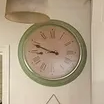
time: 8:48
